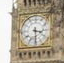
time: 3:29
